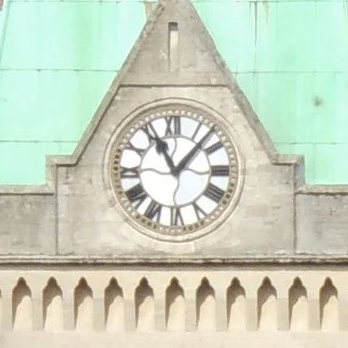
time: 11:07
